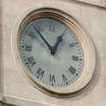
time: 12:53
